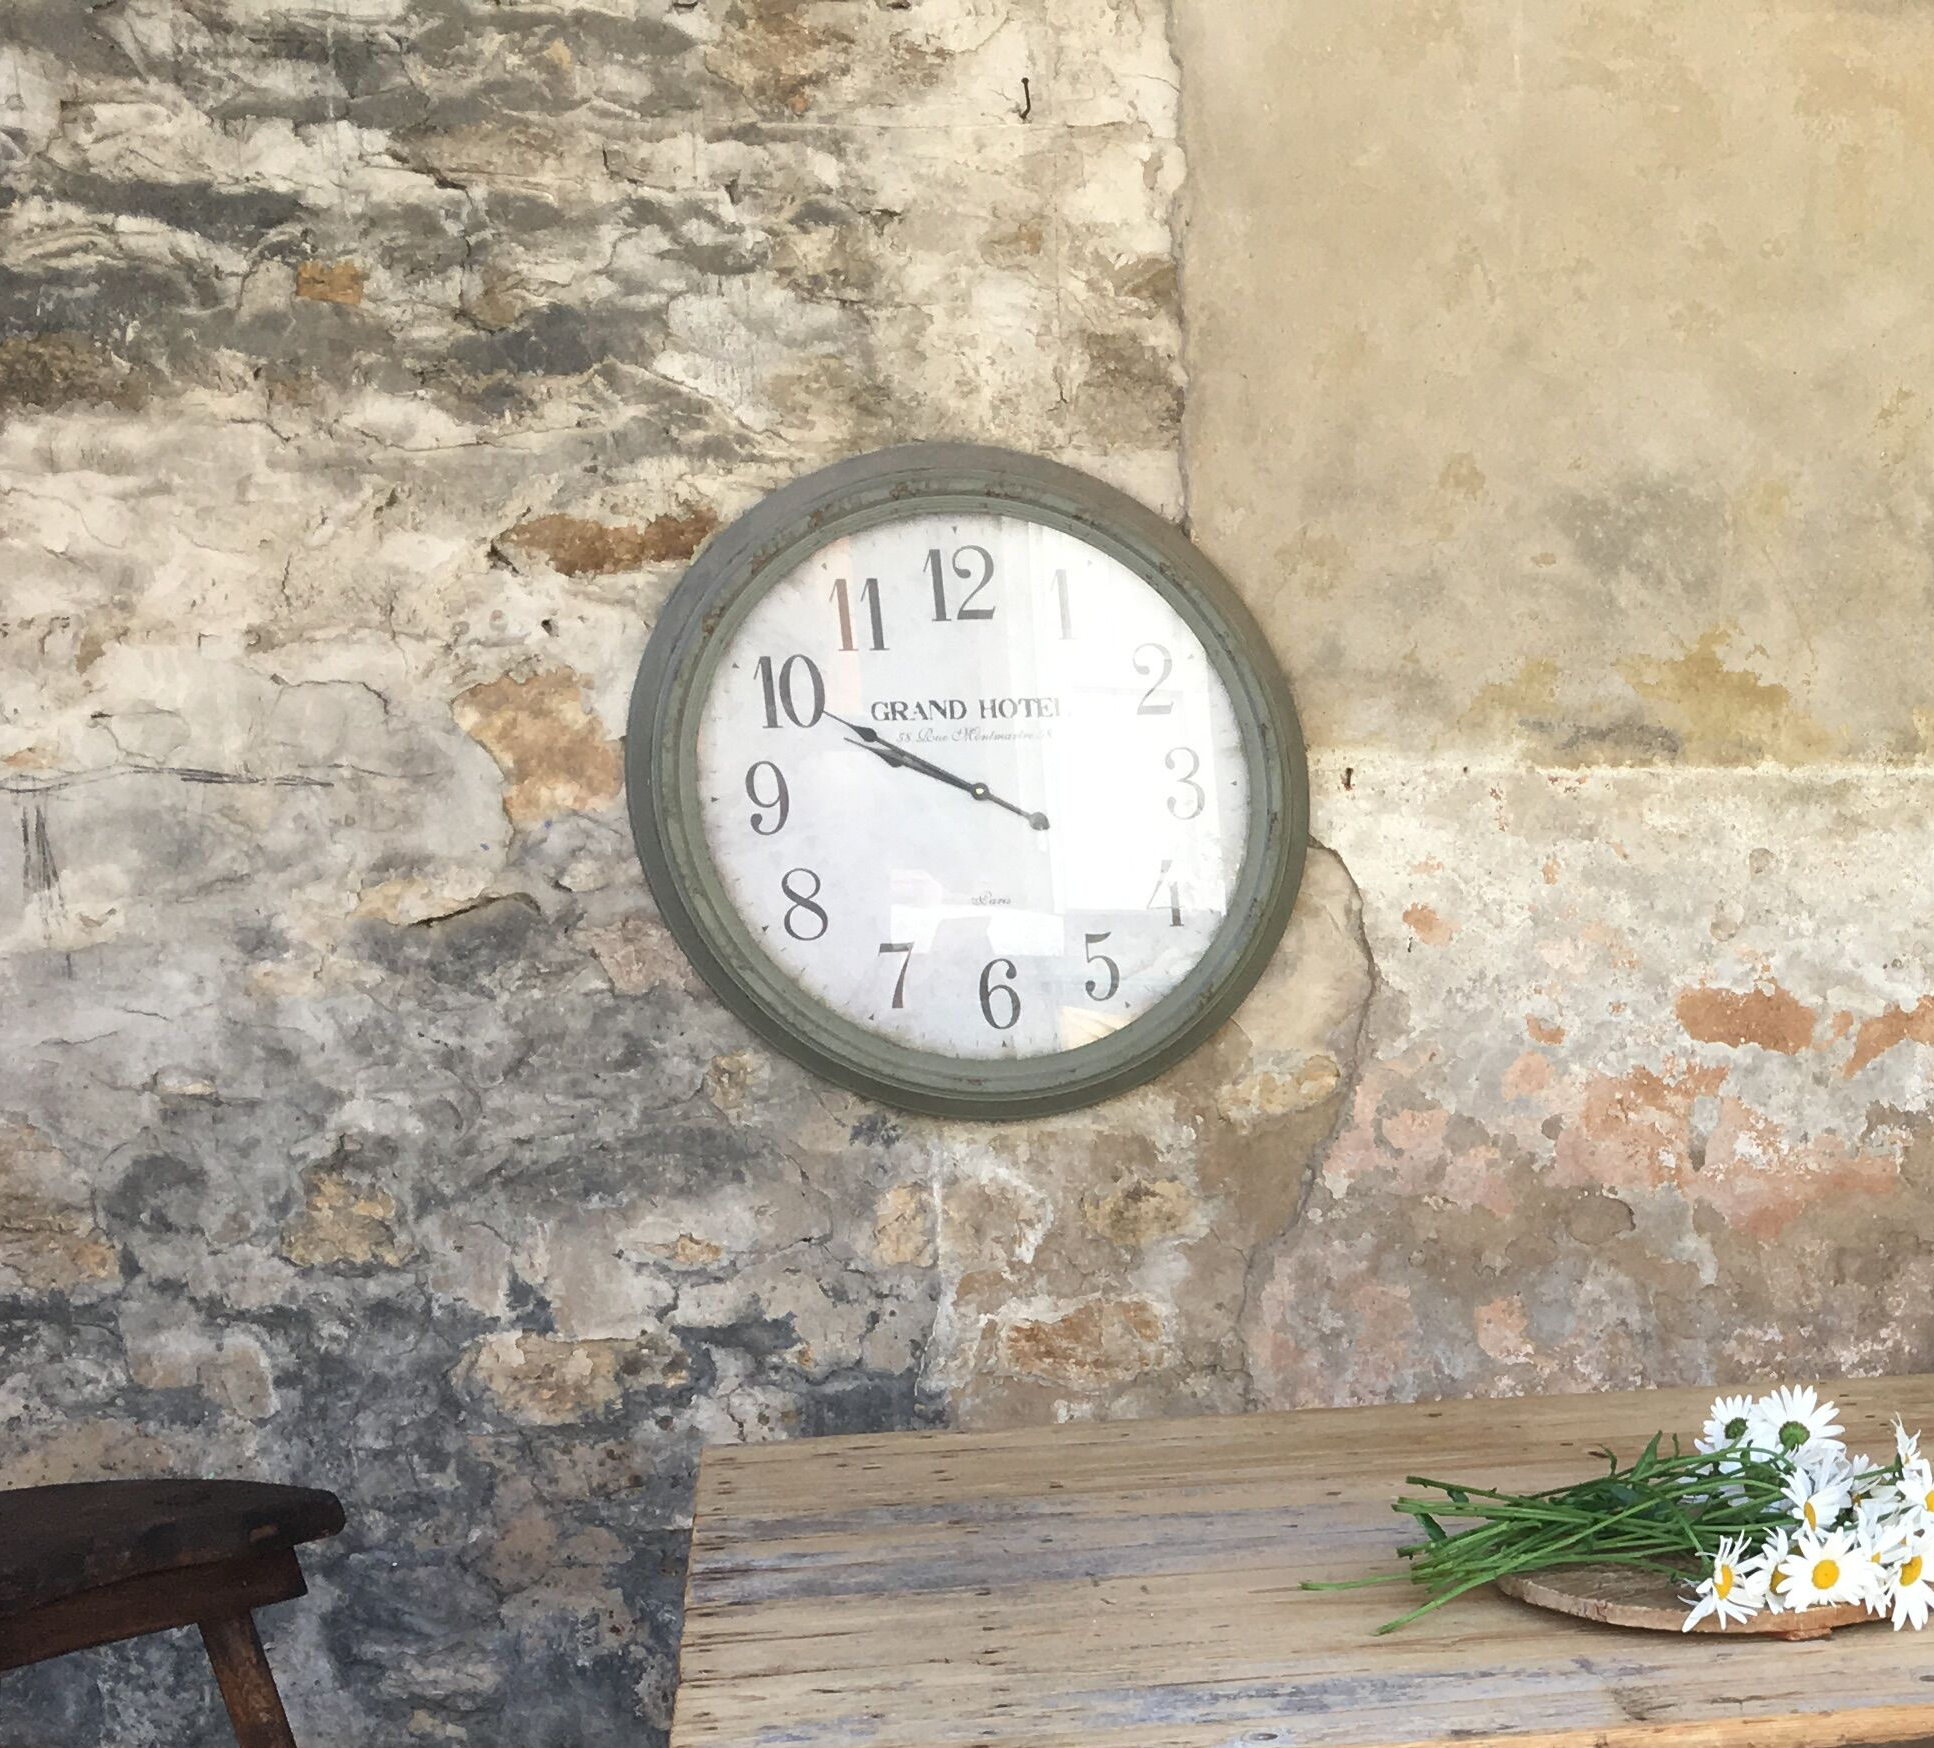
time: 9:49
